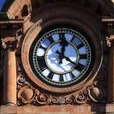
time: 12:20
